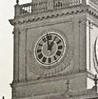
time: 12:58
